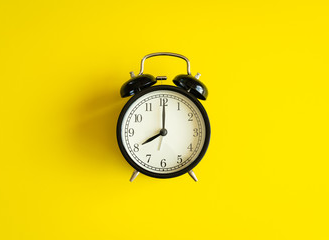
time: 8:00
